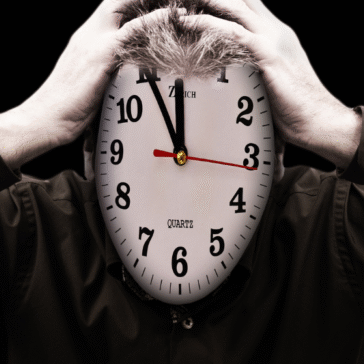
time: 11:54
